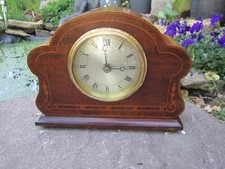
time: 2:58
